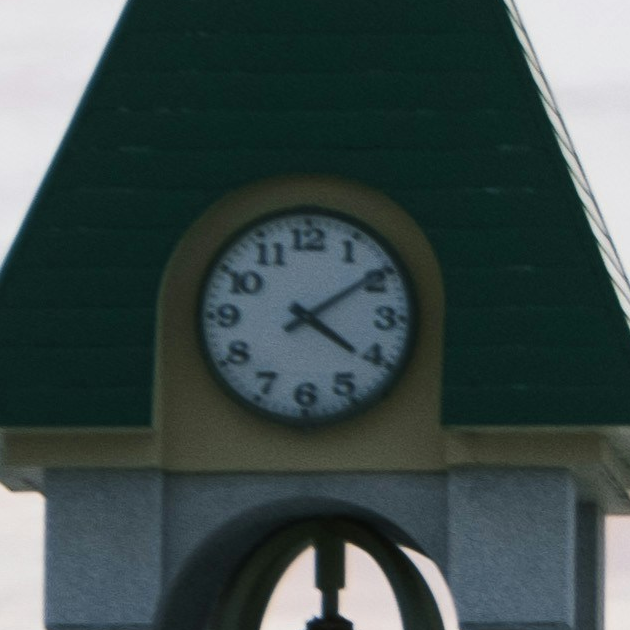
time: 4:09
